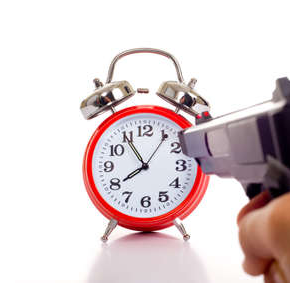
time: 7:54
